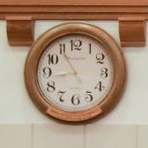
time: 8:54
